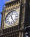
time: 11:24
